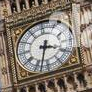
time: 3:32
